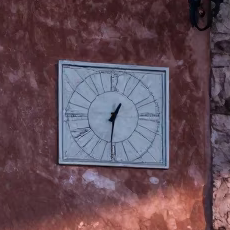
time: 12:31
